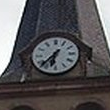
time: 6:37
